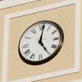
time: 5:01
